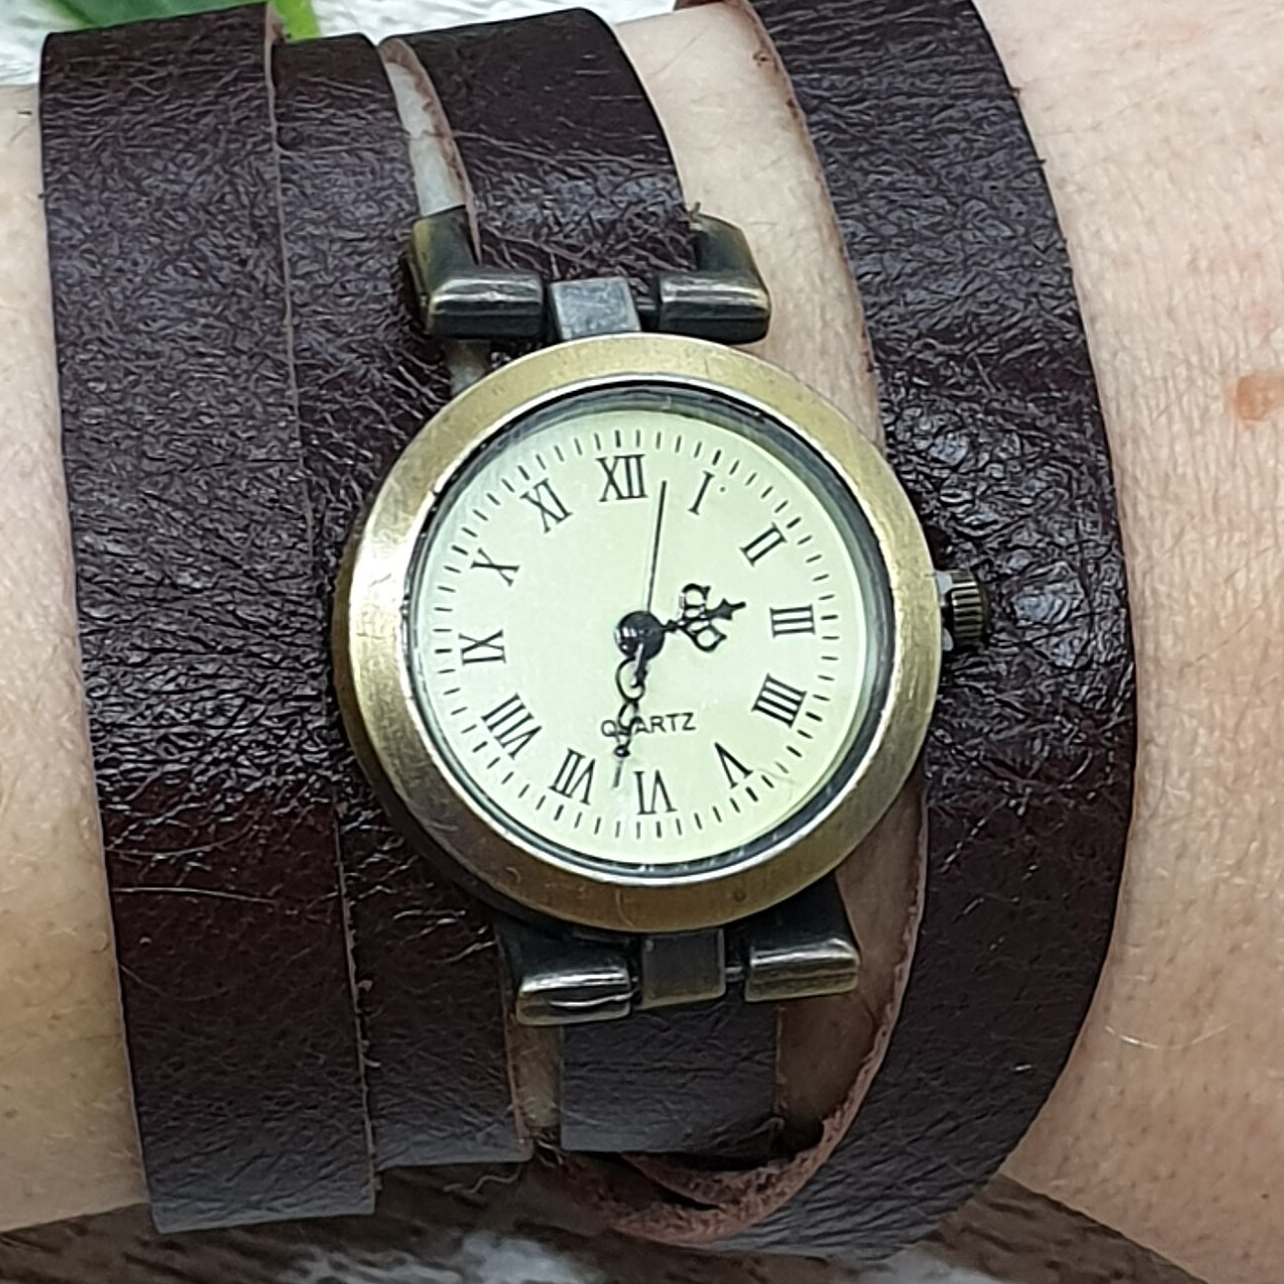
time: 2:32
